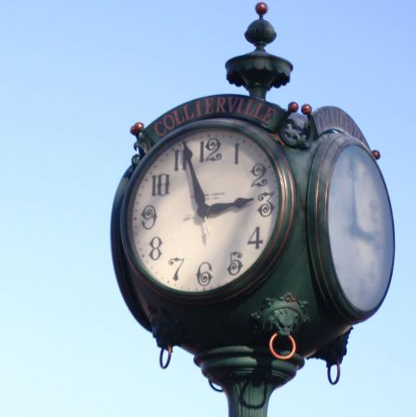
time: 2:56
